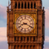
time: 8:19
